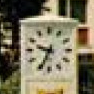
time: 9:34
